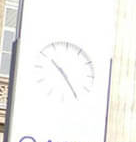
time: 10:24
